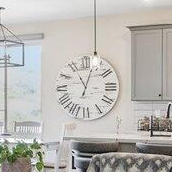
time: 11:03
